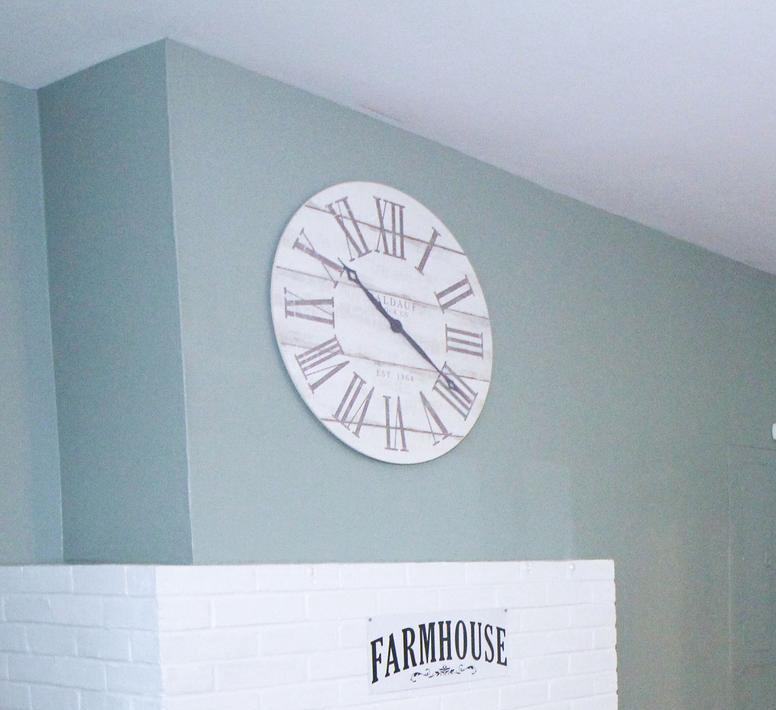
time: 10:20
